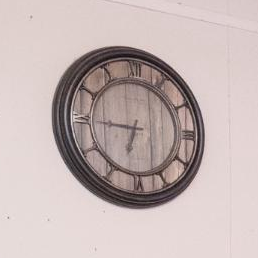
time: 6:45
